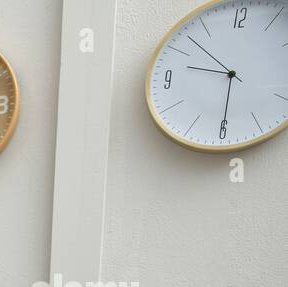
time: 9:30
